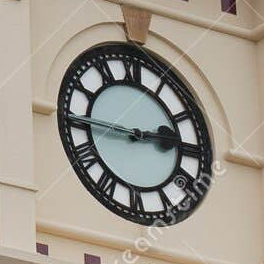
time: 2:44
